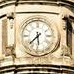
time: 7:29
